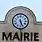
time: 5:26
